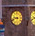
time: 9:42
